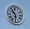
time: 5:54
